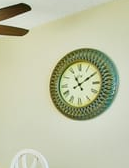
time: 11:09
